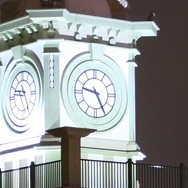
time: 9:25
